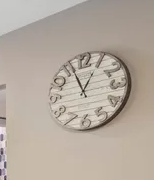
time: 12:56
